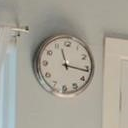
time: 11:16
